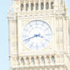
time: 3:41
